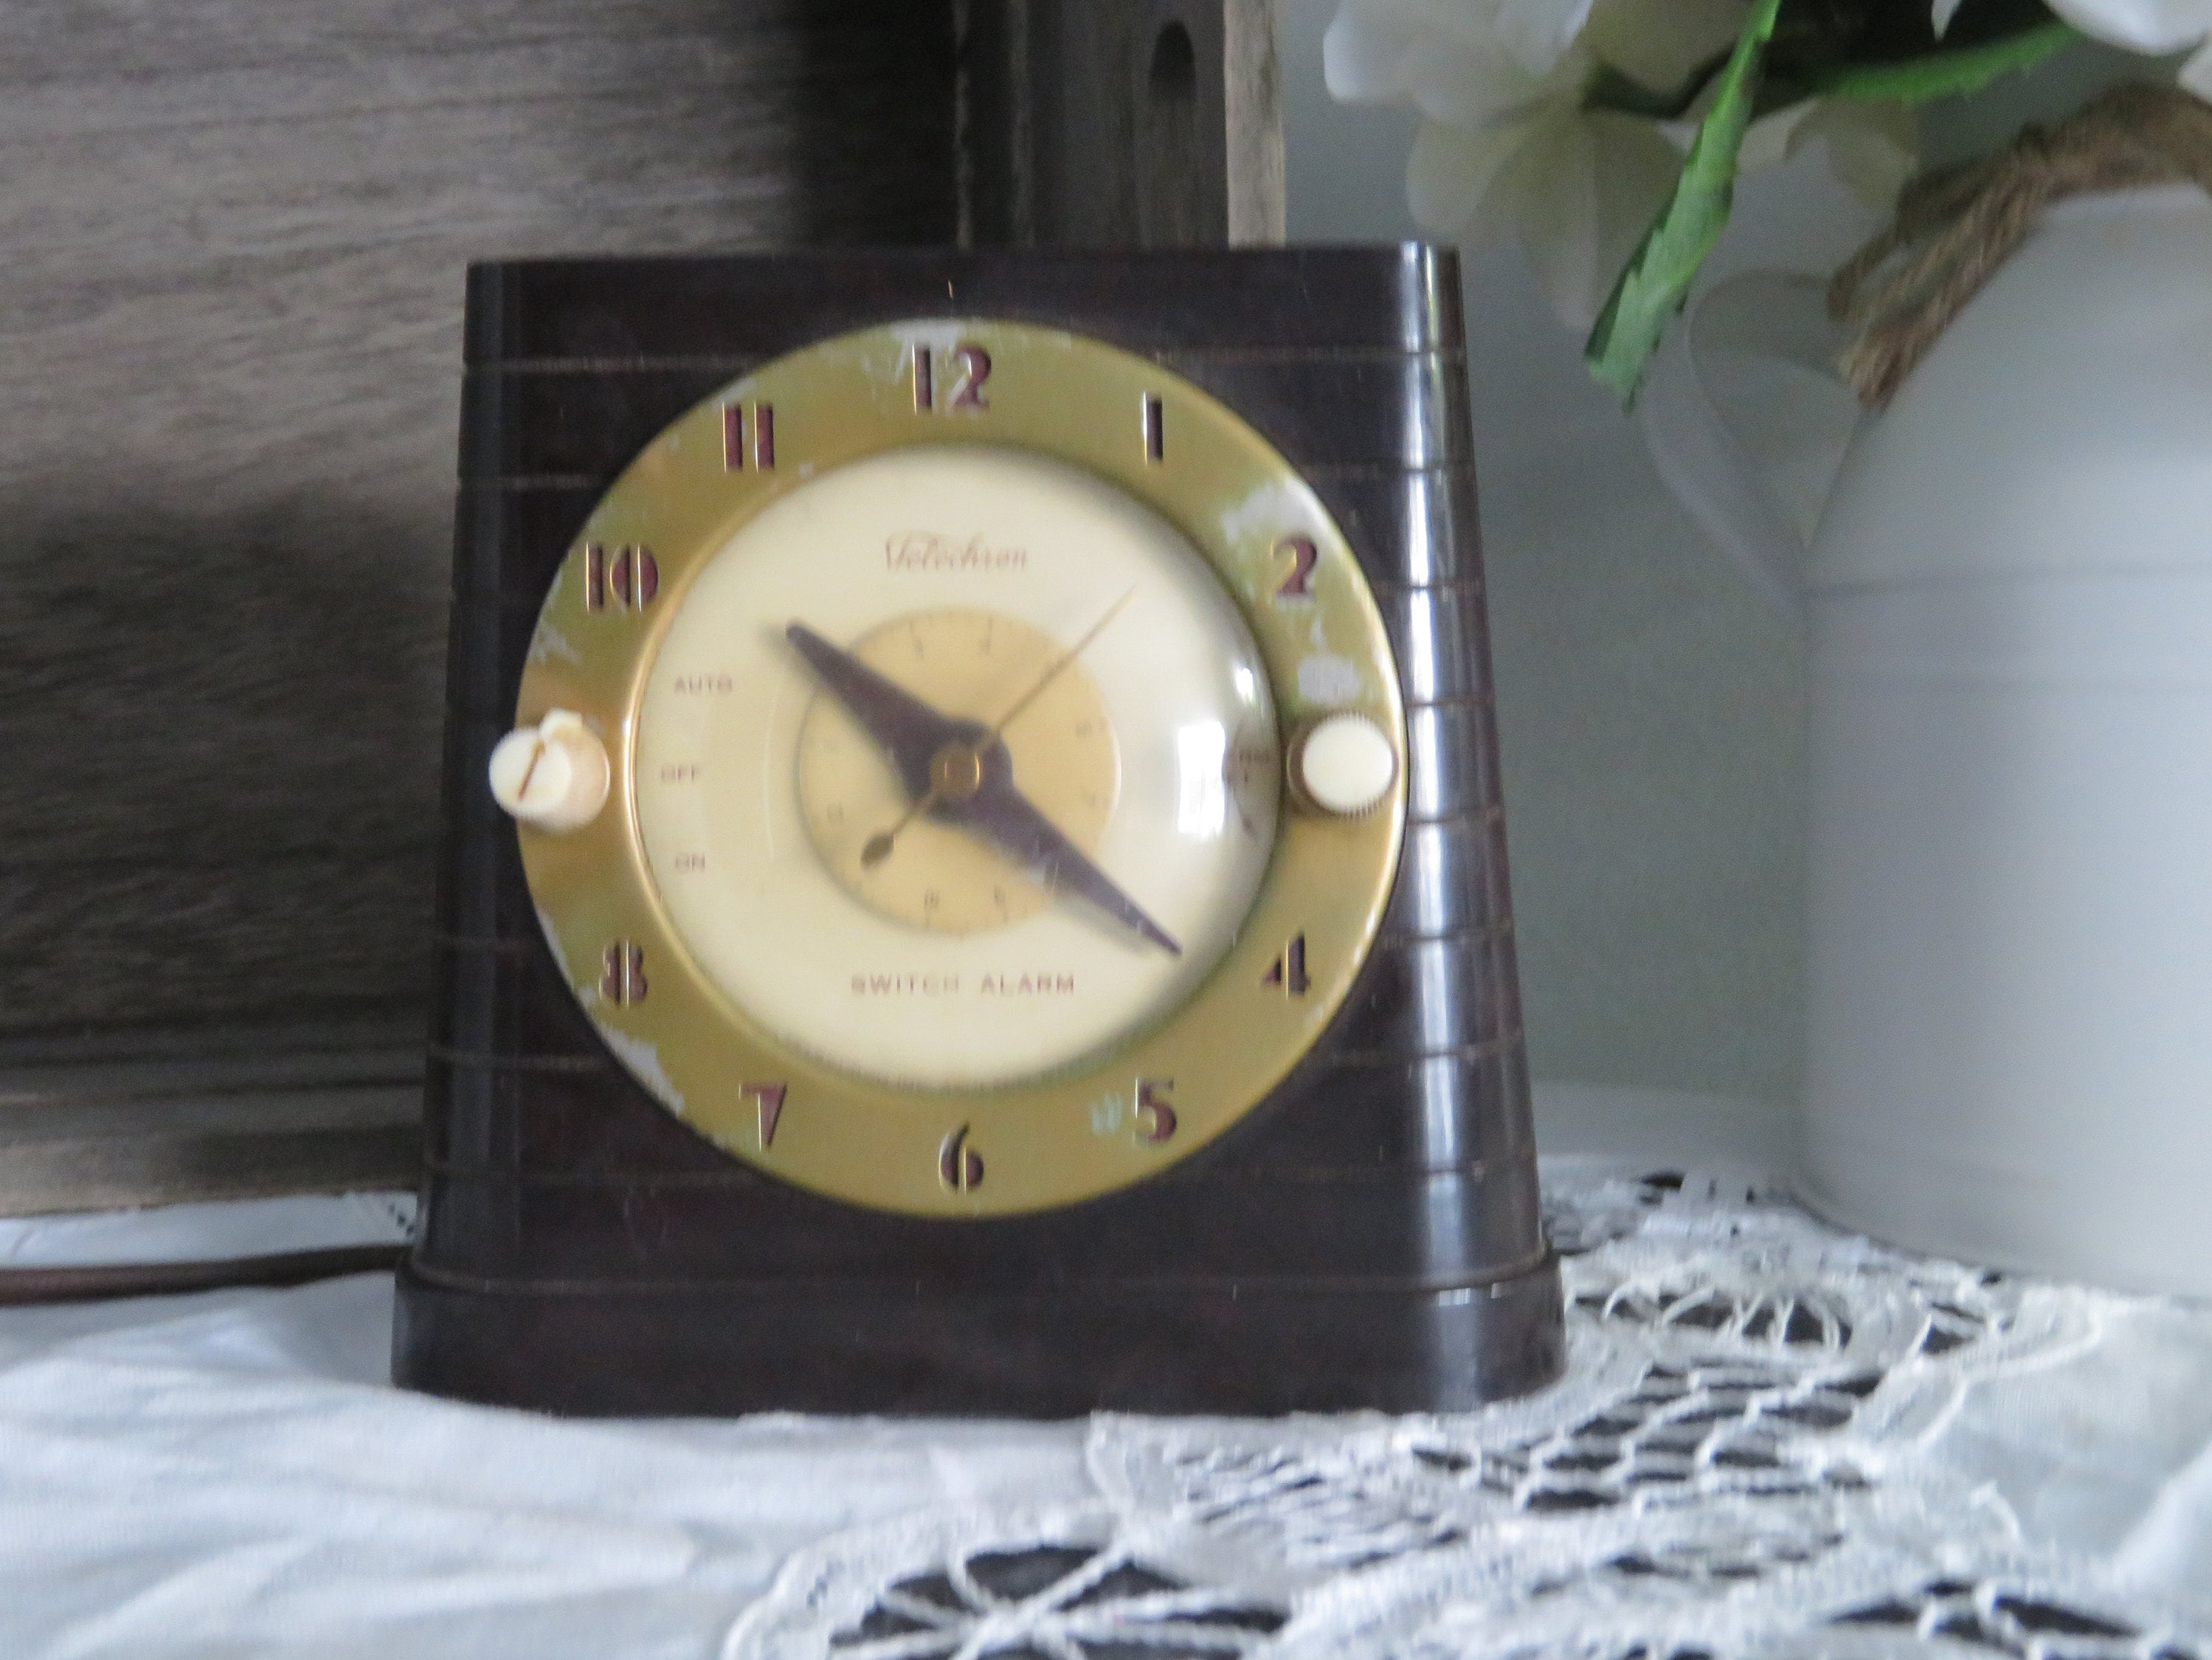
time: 10:21
